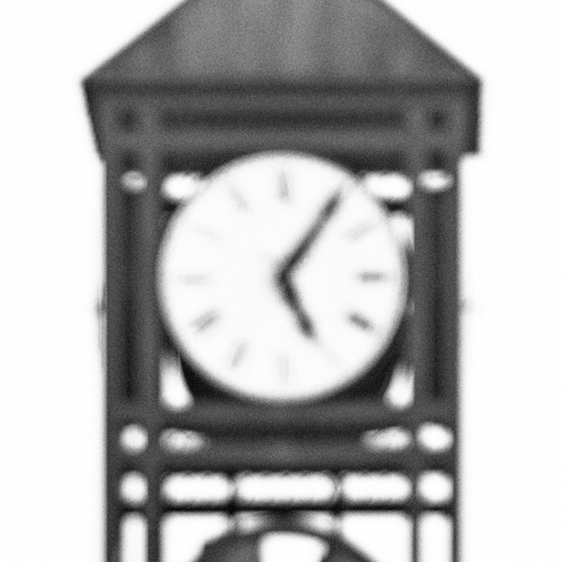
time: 5:05
